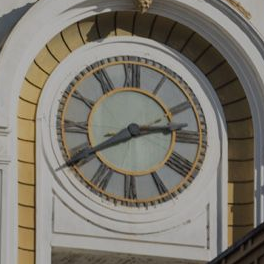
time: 2:40
